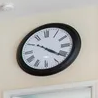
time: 4:20
